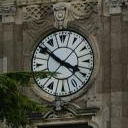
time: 3:51
